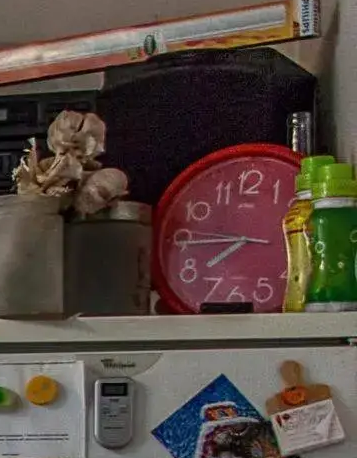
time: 7:44
